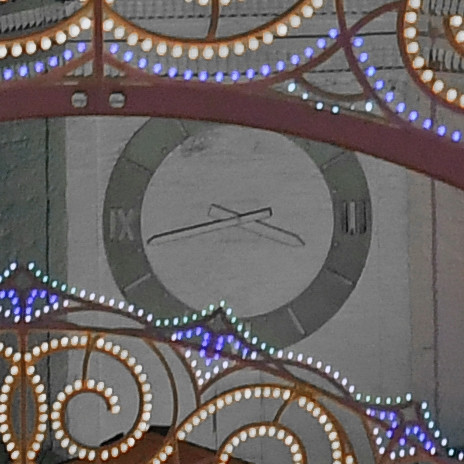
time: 3:42
